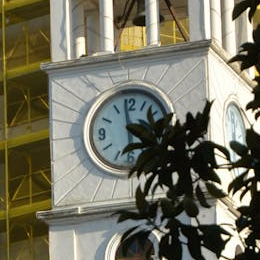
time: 6:58
